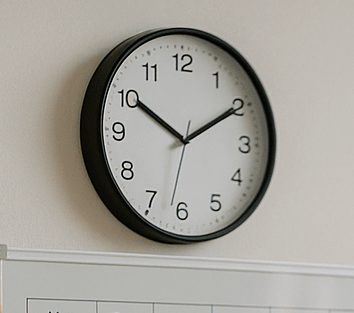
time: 10:09
